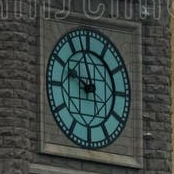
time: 9:57
